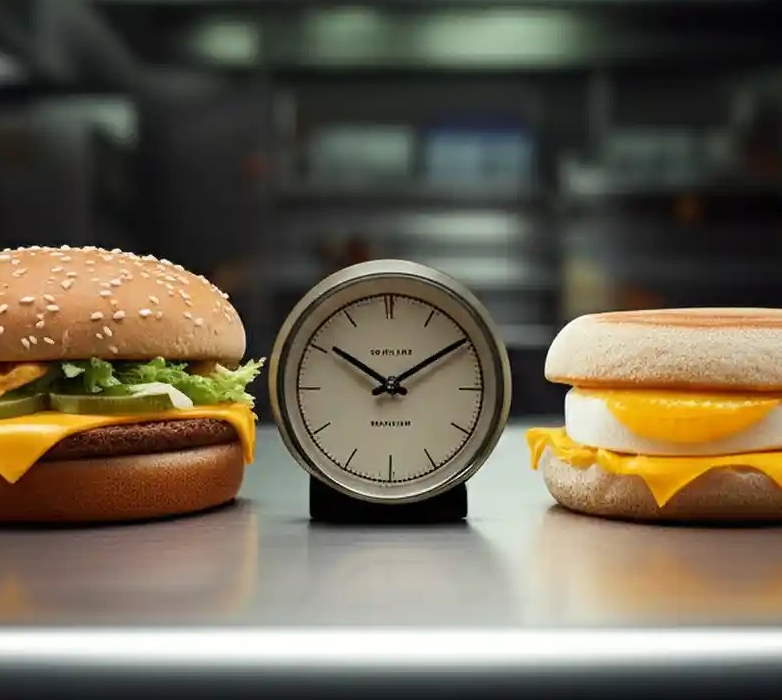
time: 10:09
